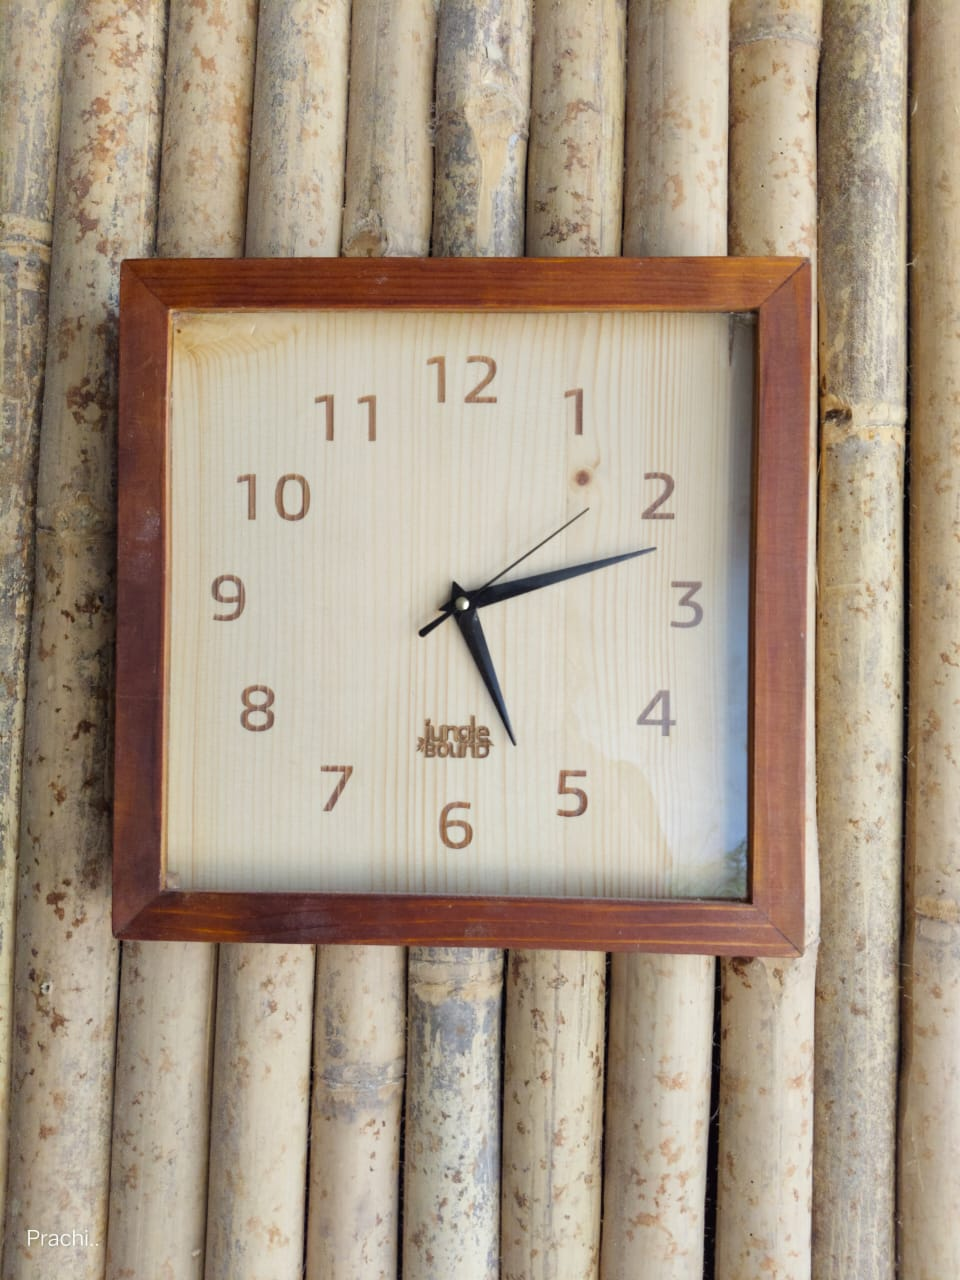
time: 5:12
